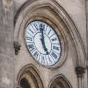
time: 4:59
